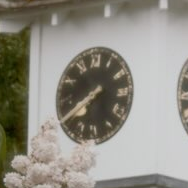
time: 7:40
